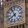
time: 7:55
